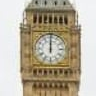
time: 12:00
